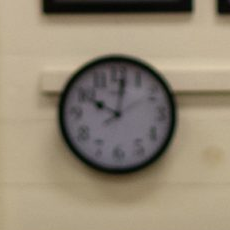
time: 10:01
